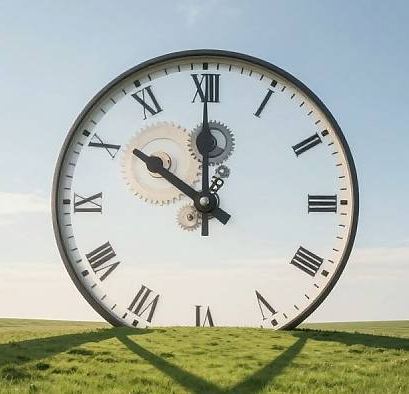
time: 11:50
